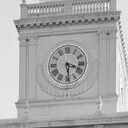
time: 3:28
